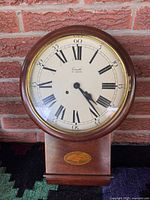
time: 4:23
